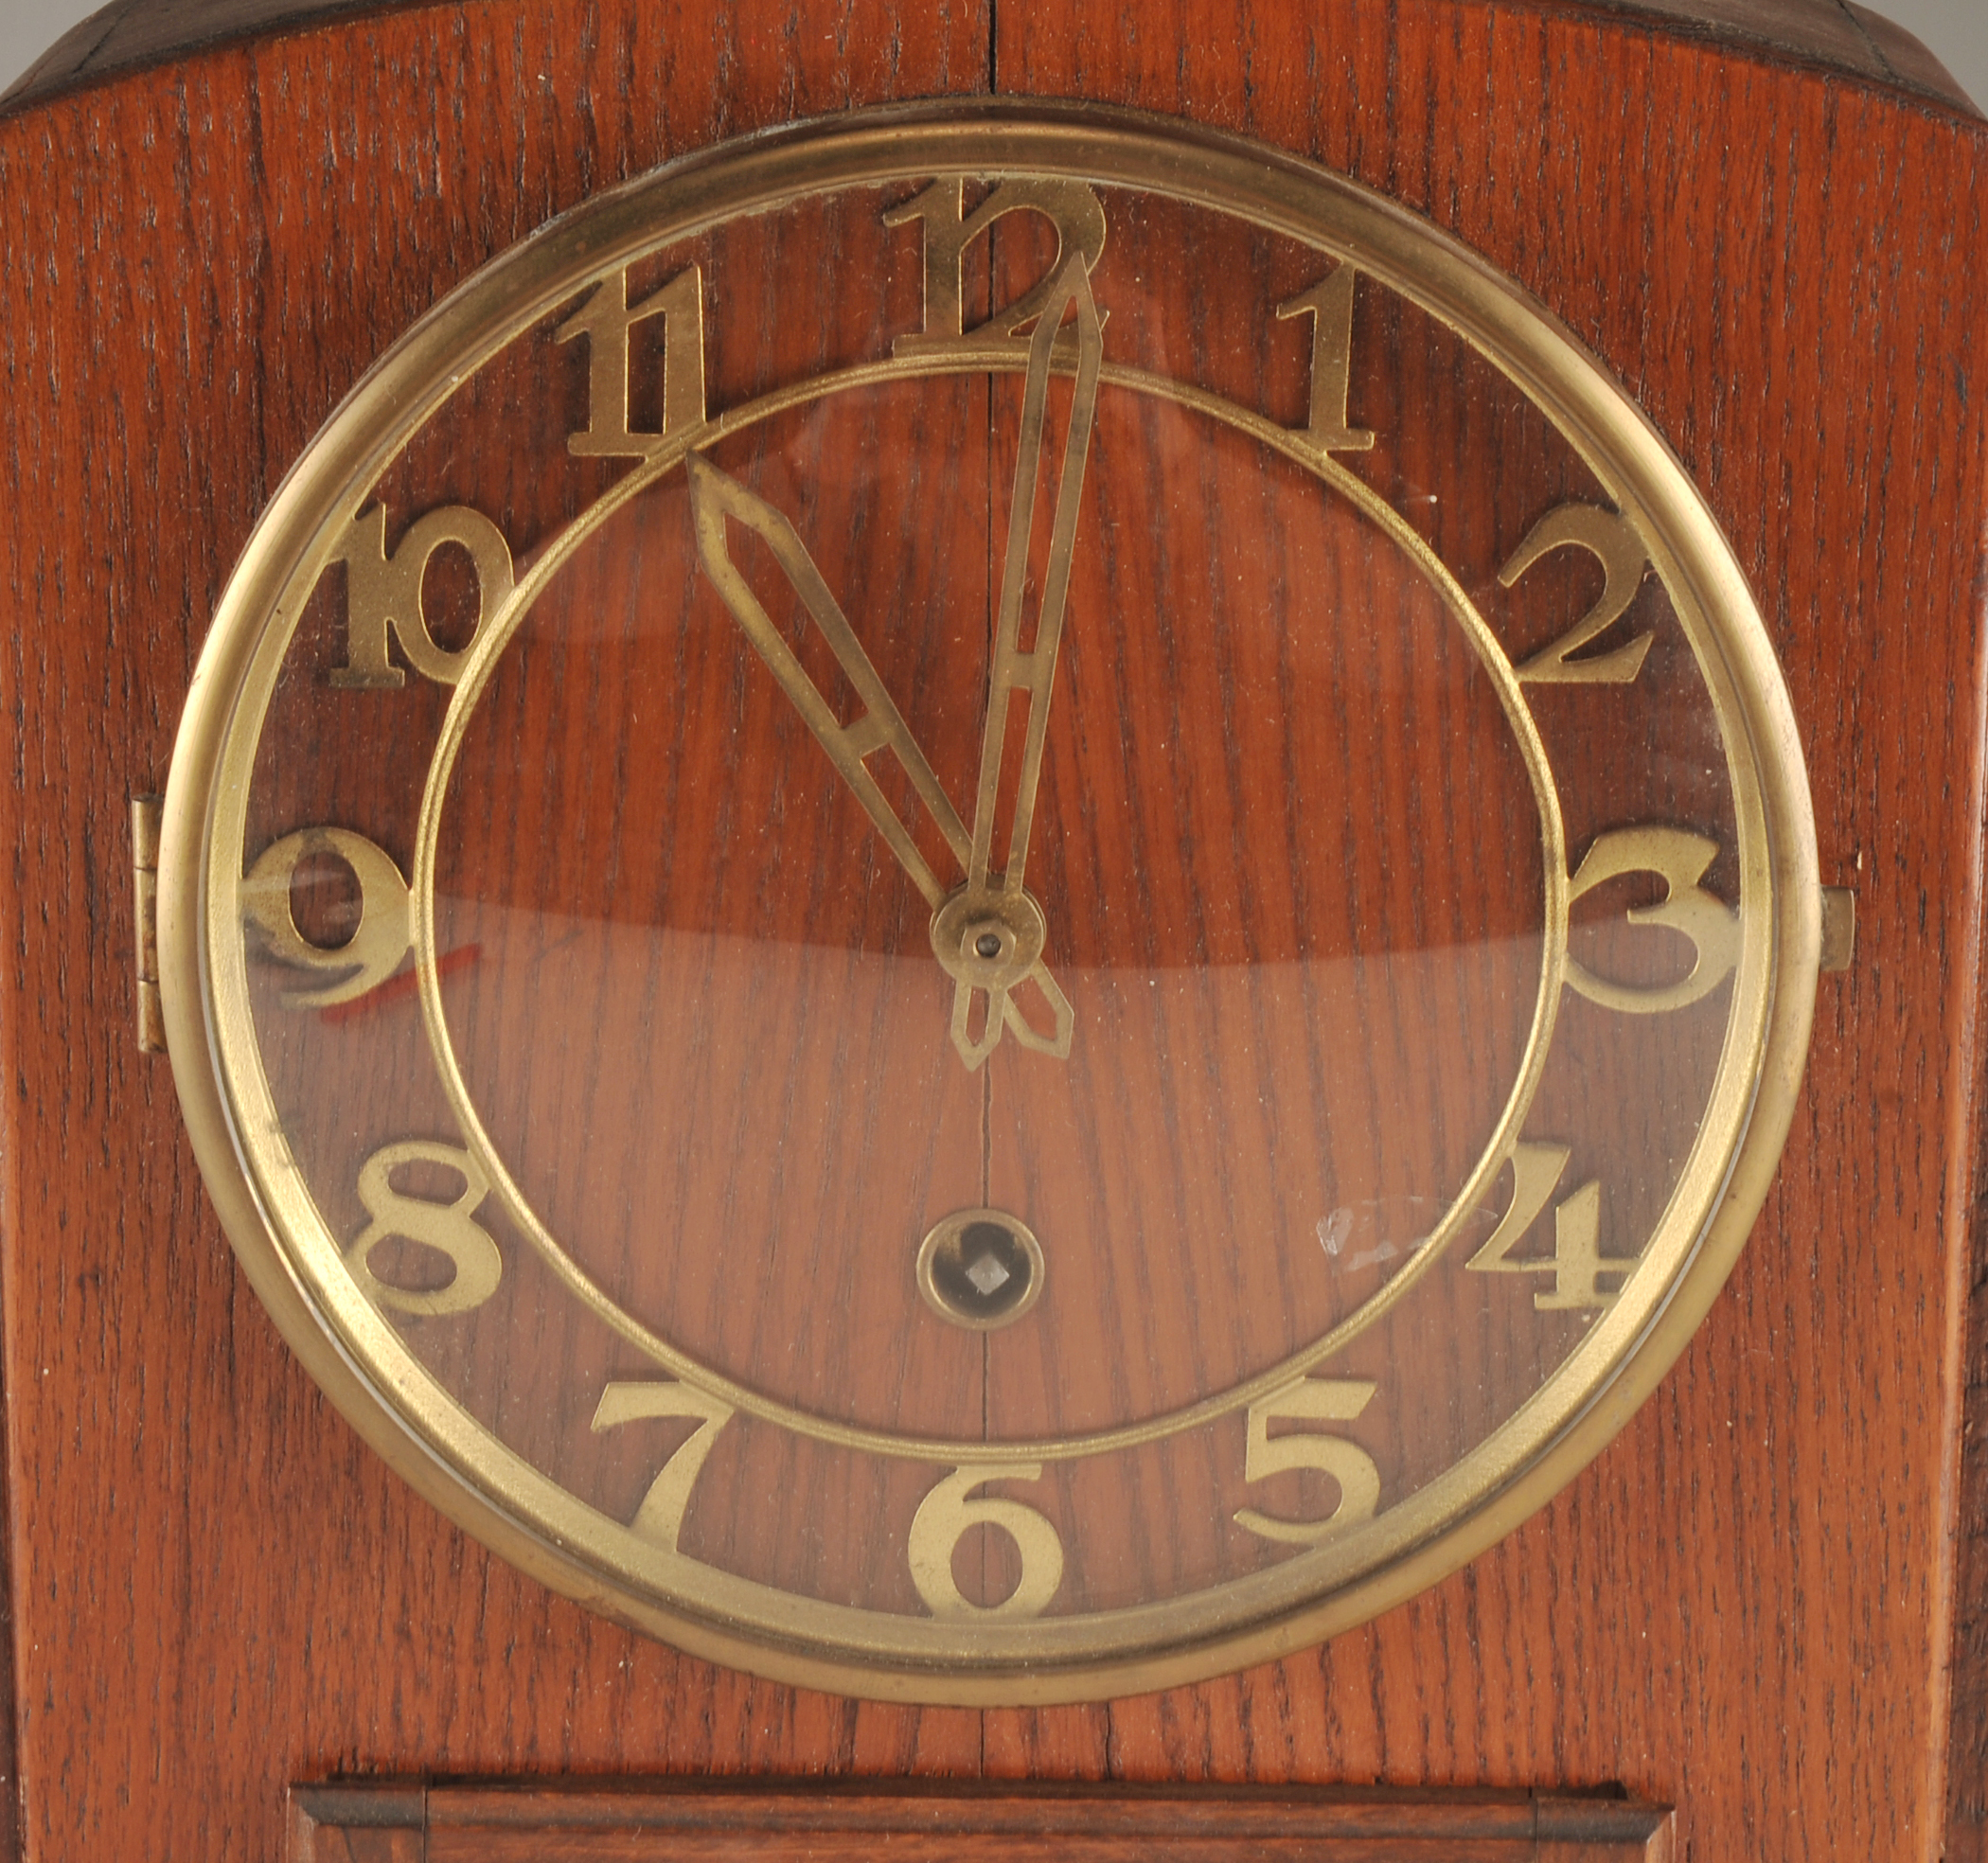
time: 11:01
